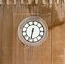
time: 6:32
